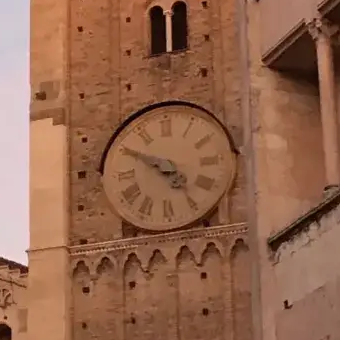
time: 4:50
